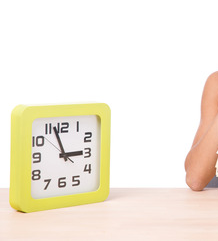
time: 2:56
